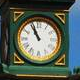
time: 10:56
